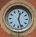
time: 12:26
